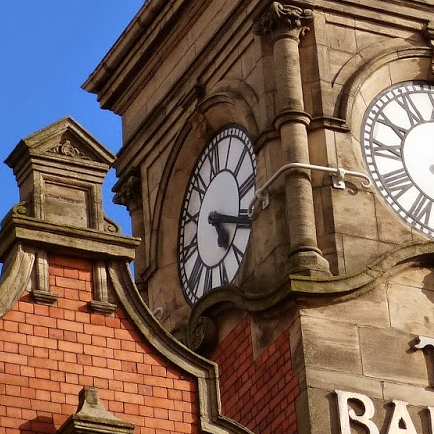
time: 4:16
